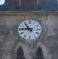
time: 10:45
